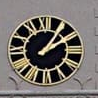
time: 1:09
